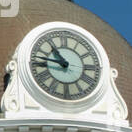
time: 10:47
